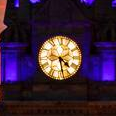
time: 4:28
